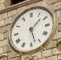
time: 1:27
